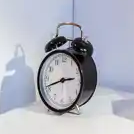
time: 2:42
